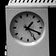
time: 1:19
